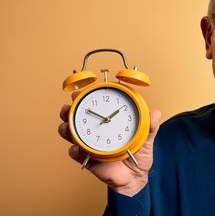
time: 1:50
